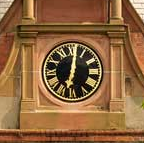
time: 7:01
